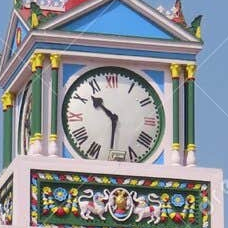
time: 10:30
